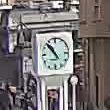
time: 10:52
